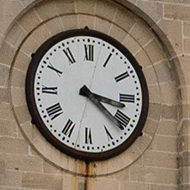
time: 3:21
